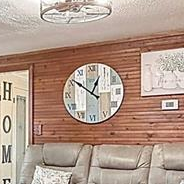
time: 12:51
